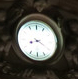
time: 8:20
